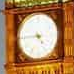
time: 4:44
